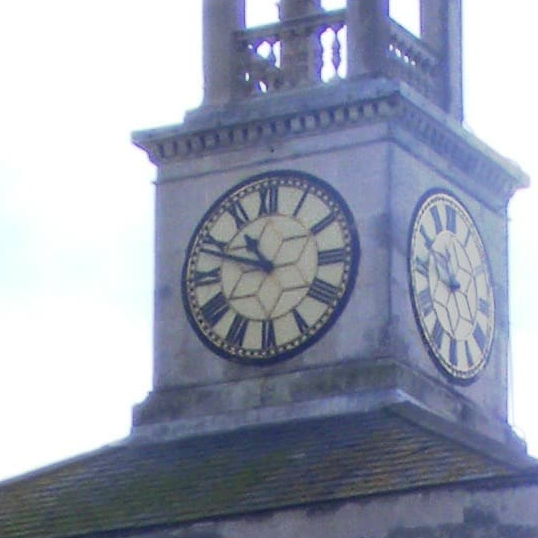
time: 10:48
